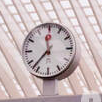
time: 11:37
